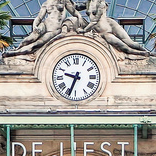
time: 9:33
